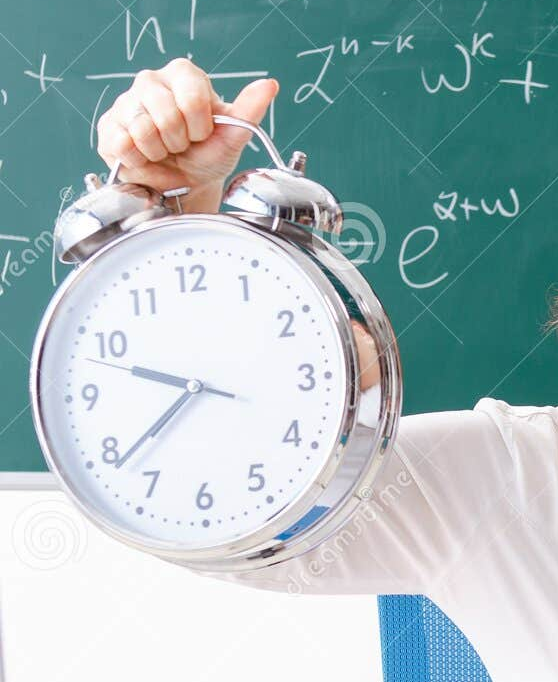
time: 9:38
